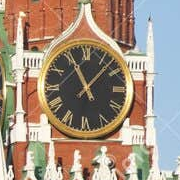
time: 11:07
